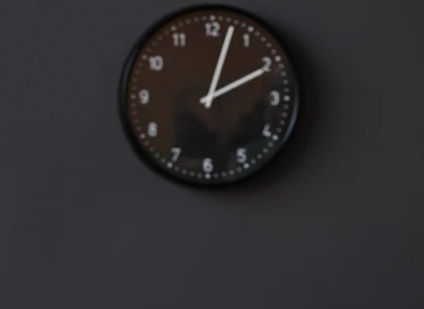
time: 2:02
